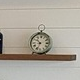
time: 10:33
